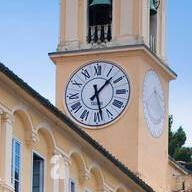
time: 1:28
